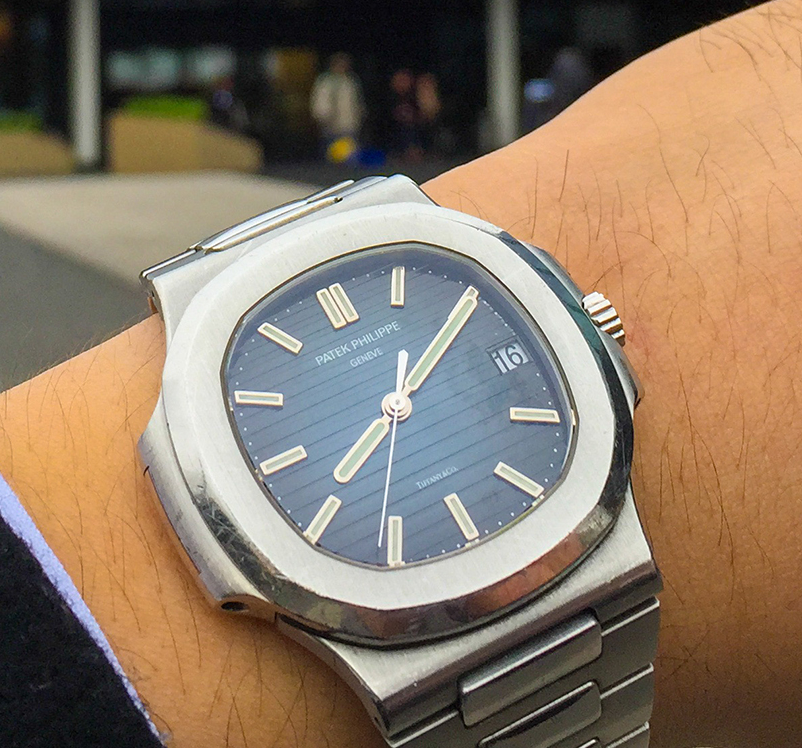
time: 7:05
